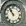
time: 10:55
